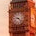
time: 9:22
